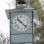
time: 10:22
